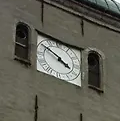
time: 3:50
